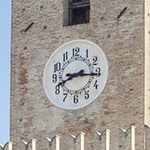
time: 8:15
